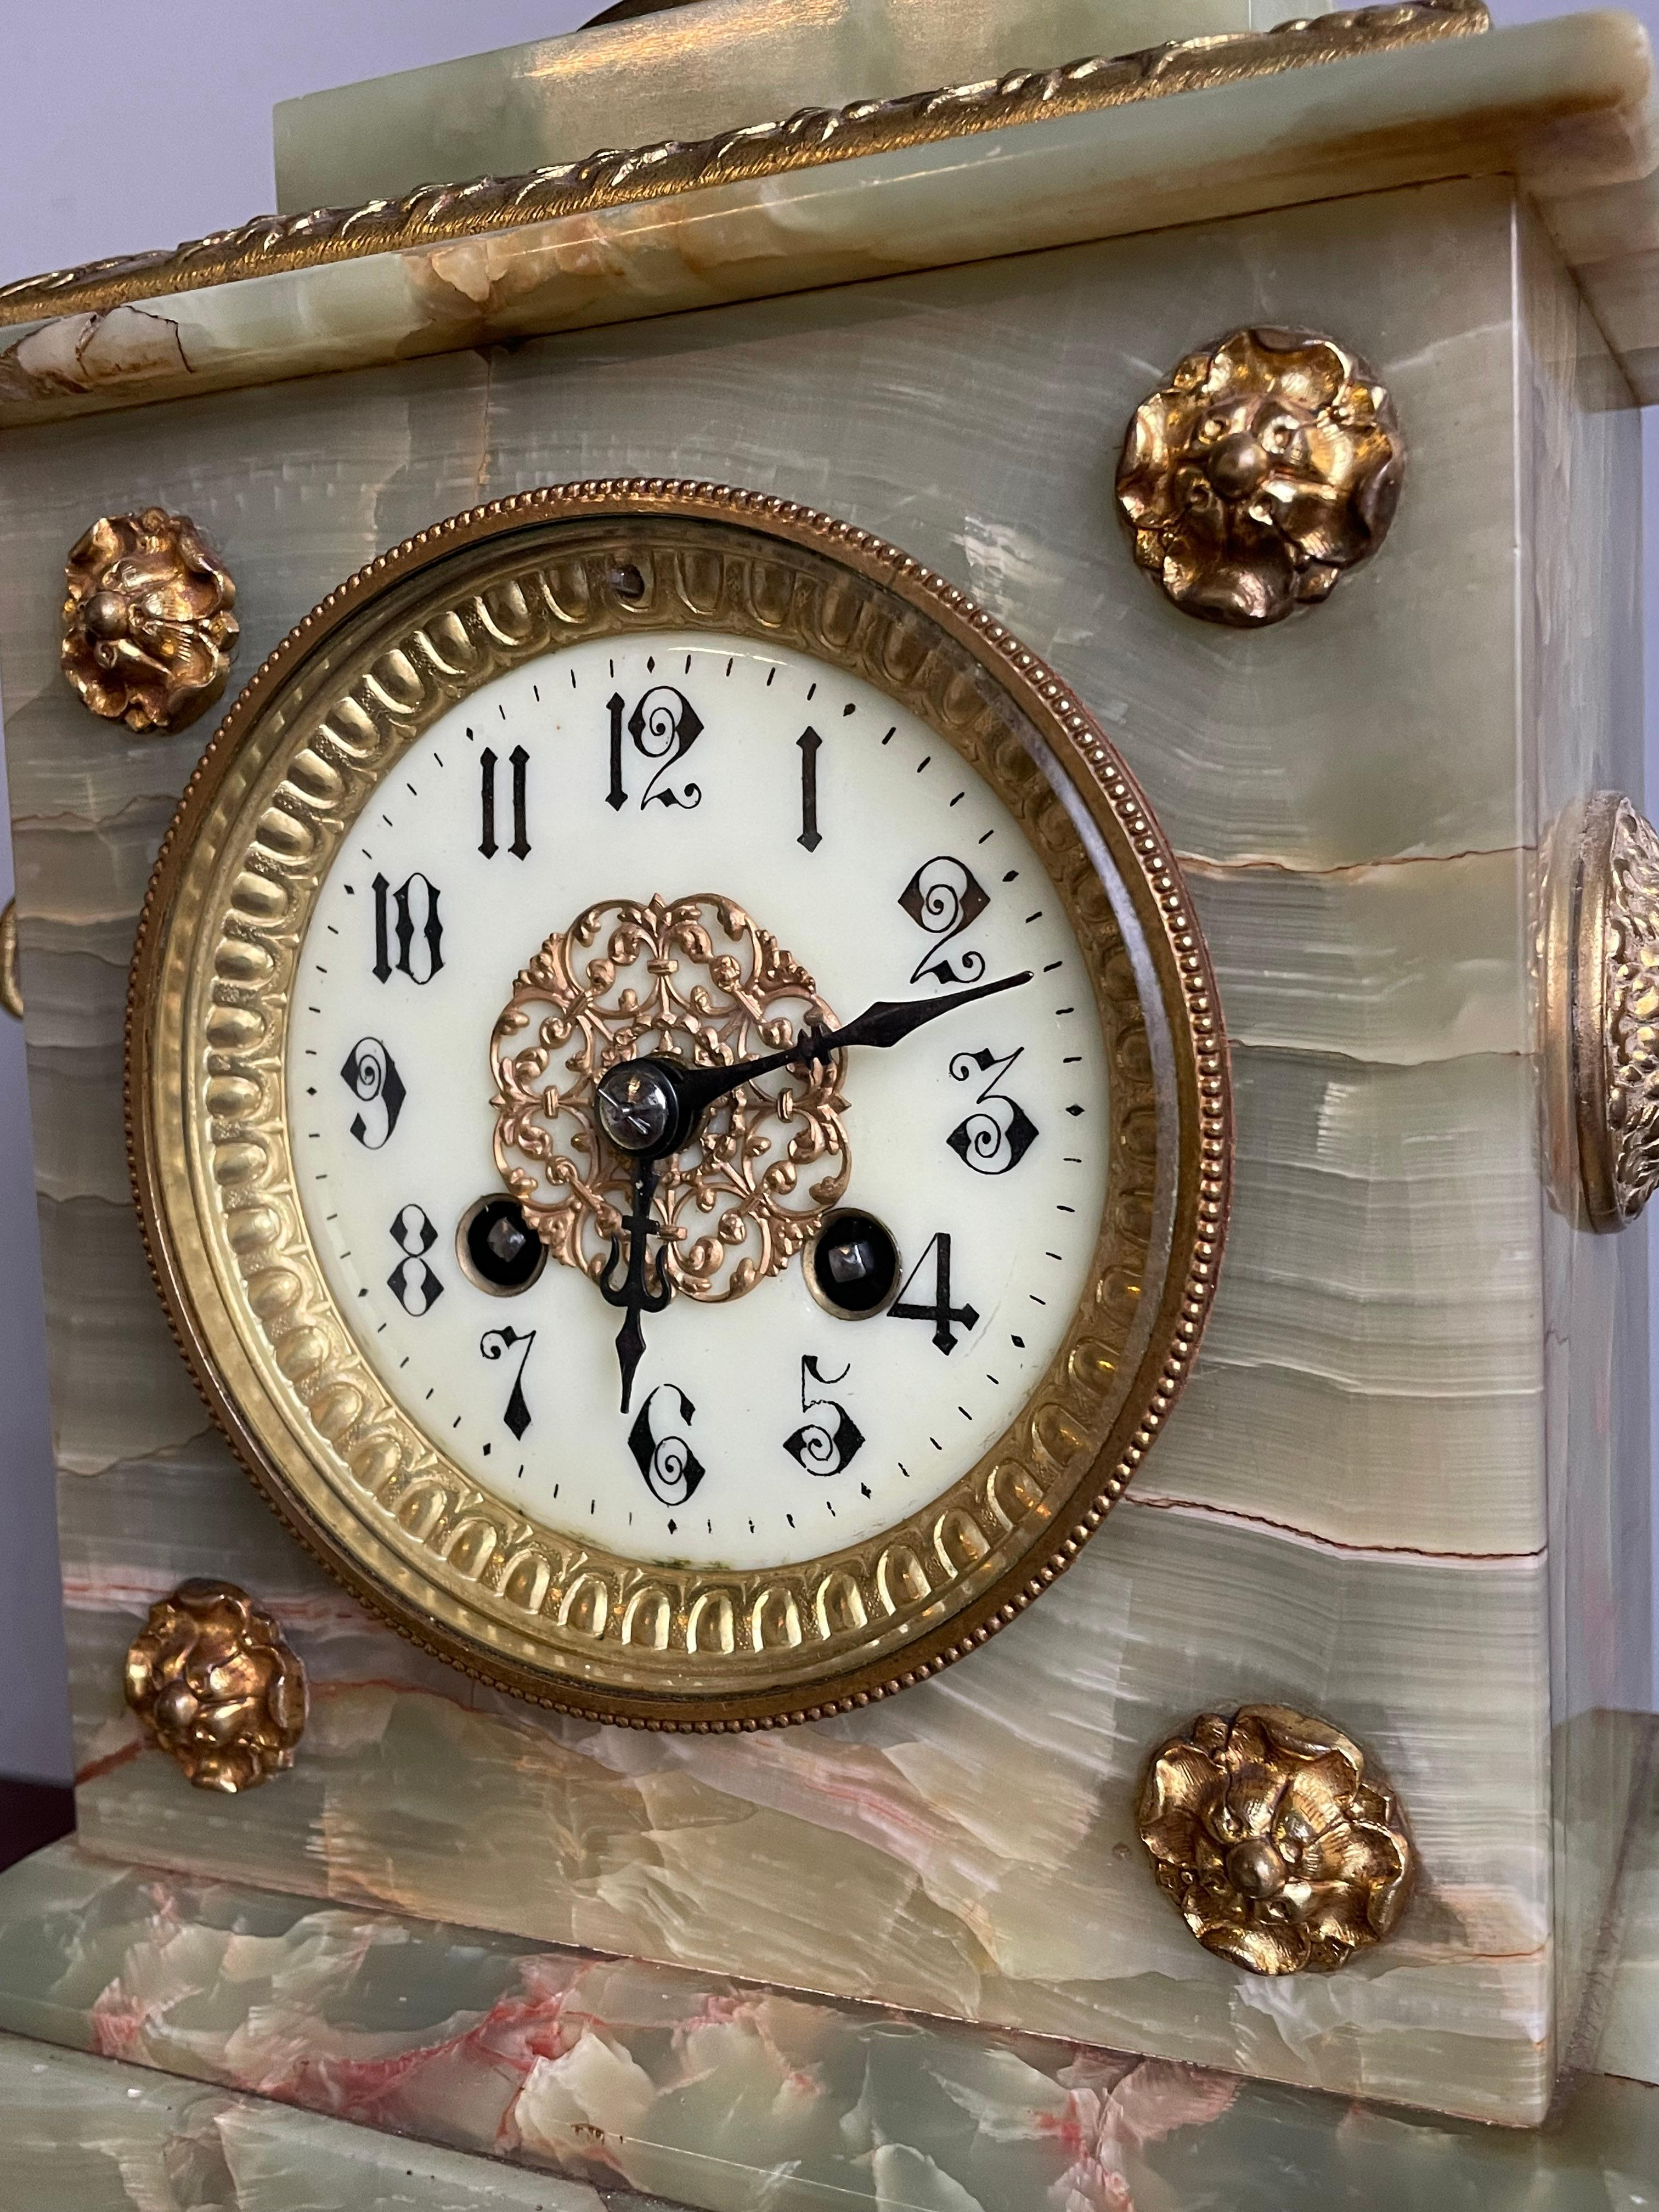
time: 6:11
